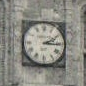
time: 2:15
